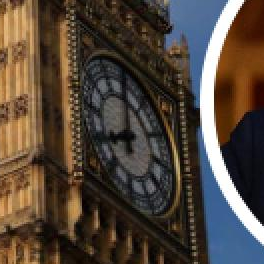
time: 7:59
